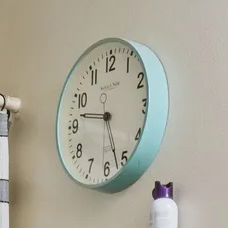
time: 9:27
